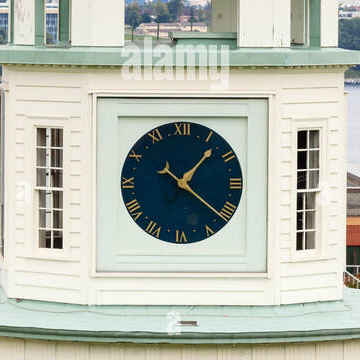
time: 1:21
